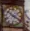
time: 3:51
